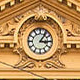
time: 3:06
